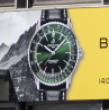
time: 10:07
